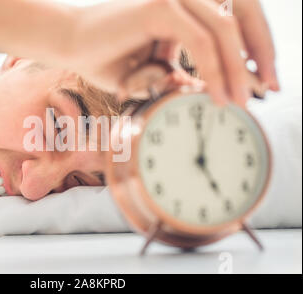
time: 5:00
